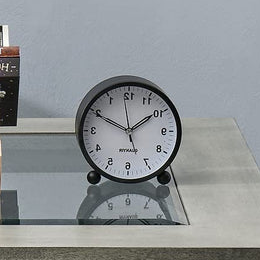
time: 1:49
